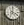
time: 4:01
